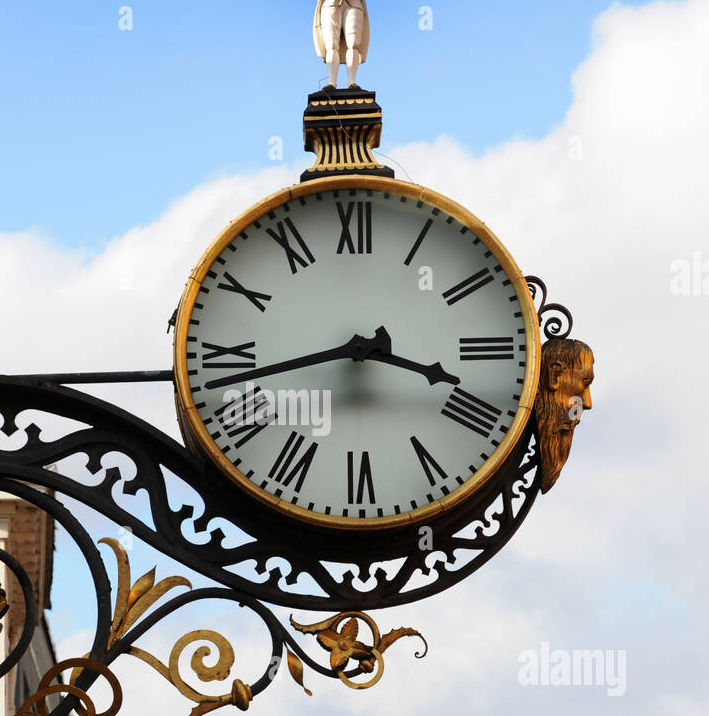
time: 3:42
